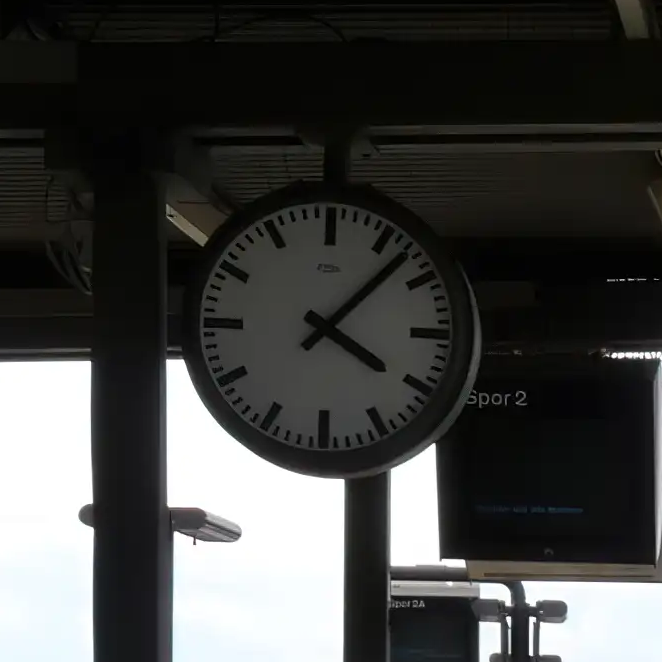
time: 4:07
